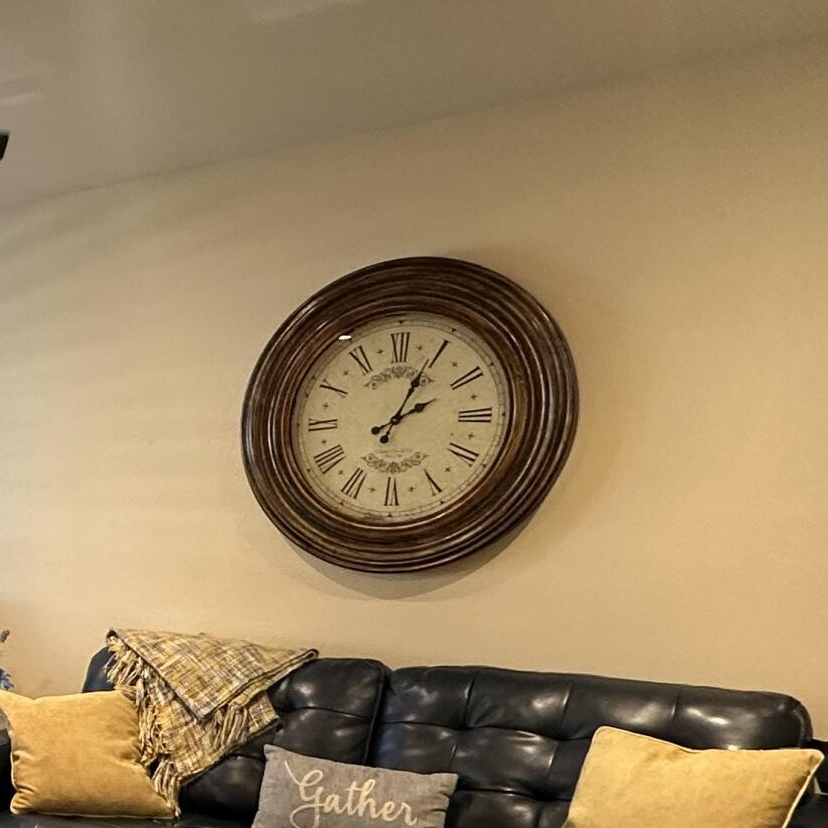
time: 2:04
